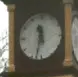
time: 11:32
